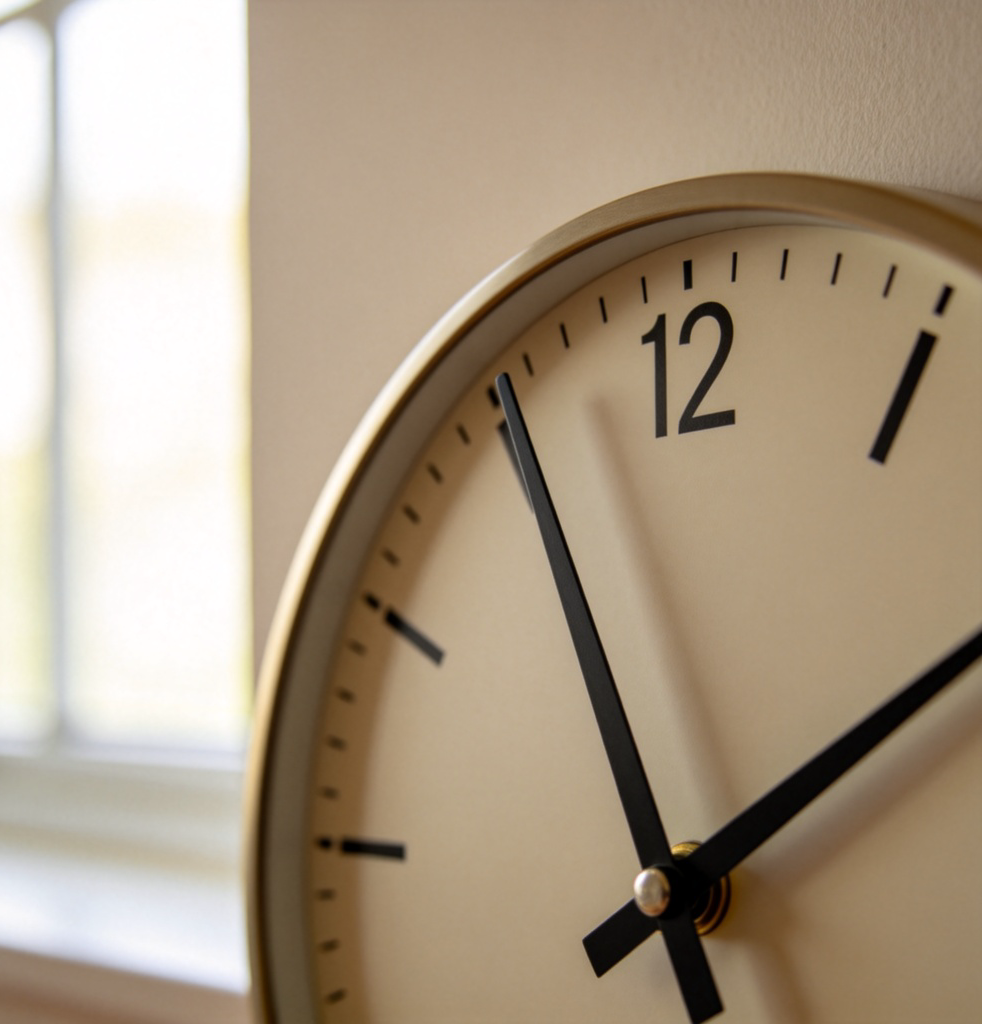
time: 1:55
